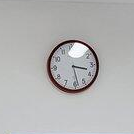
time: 3:28
